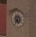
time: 5:35
